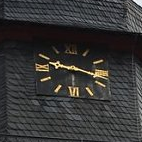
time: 9:17
